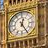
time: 12:24
